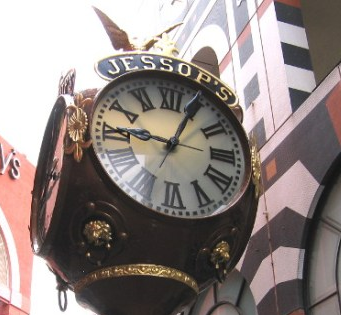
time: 9:05
